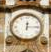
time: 12:14
